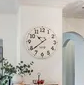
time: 10:38
